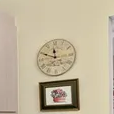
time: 11:49
